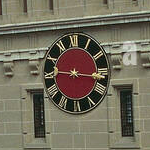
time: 9:16
